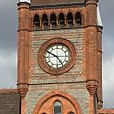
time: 4:50
